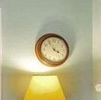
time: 3:54
